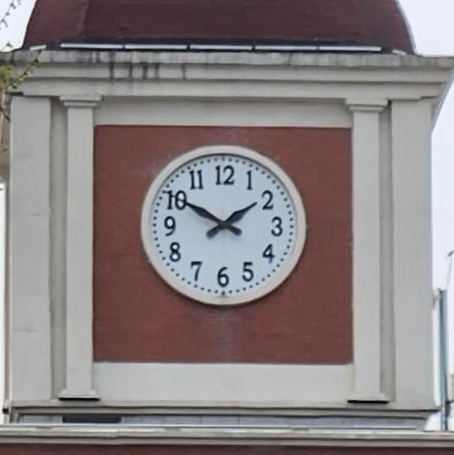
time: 1:50
